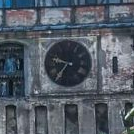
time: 9:36
